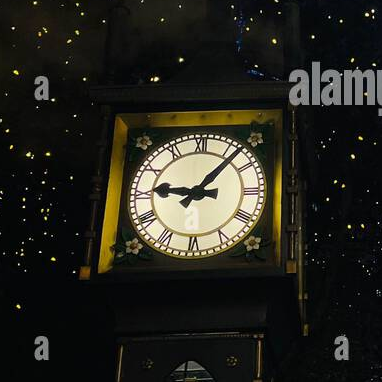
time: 9:07
